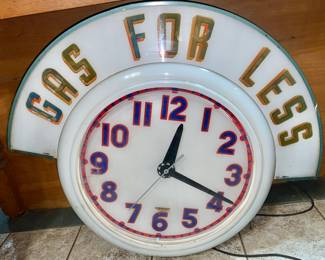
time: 12:19
